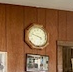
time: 3:47
